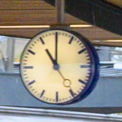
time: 11:00
